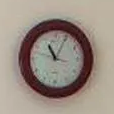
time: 11:04
